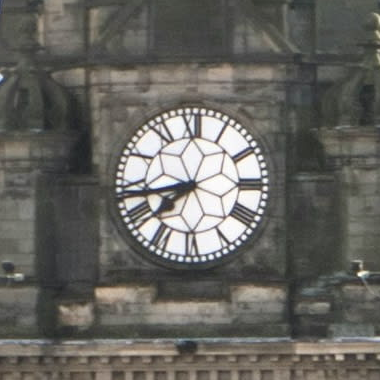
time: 7:43
